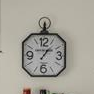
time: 1:05
